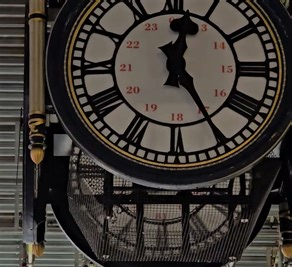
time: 12:24
